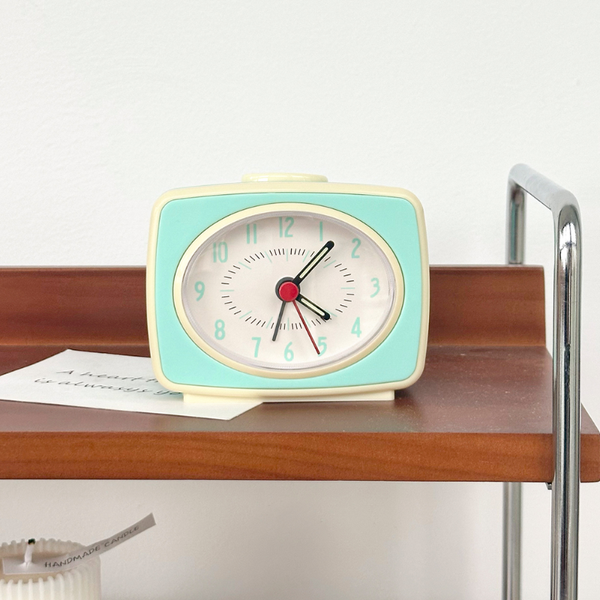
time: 4:07
